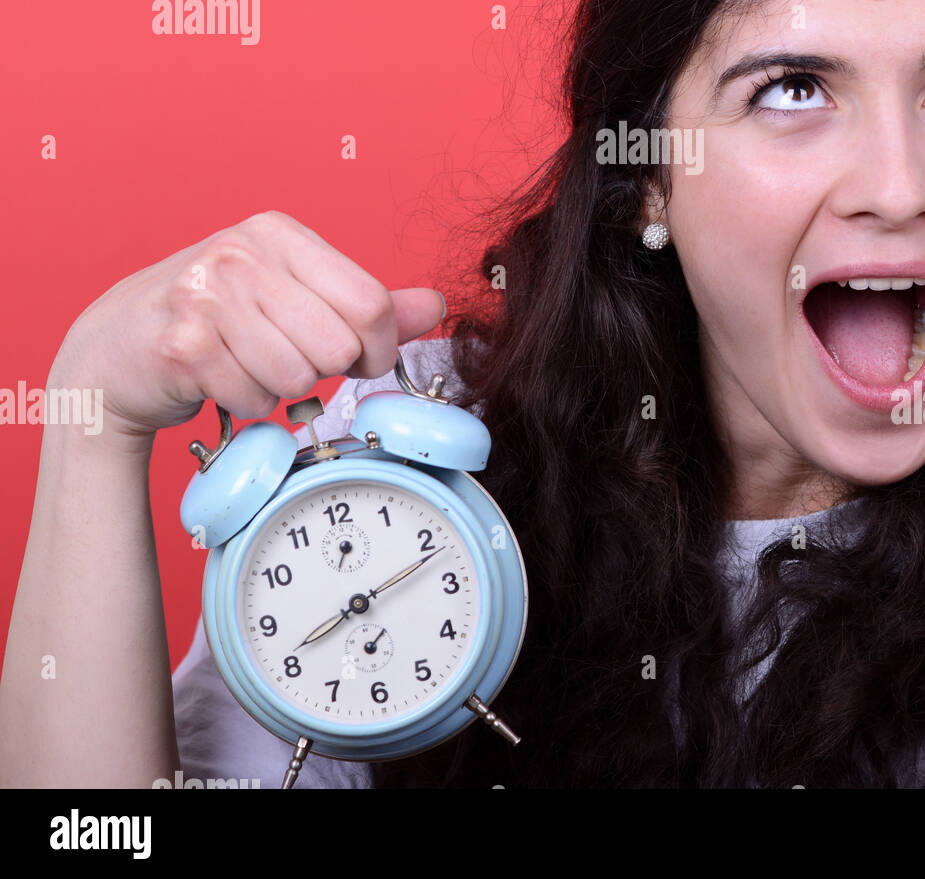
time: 8:11
